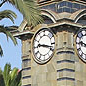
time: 9:17
